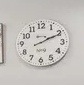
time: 2:11
